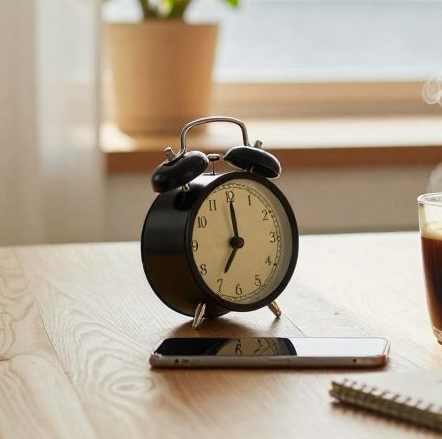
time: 7:00
